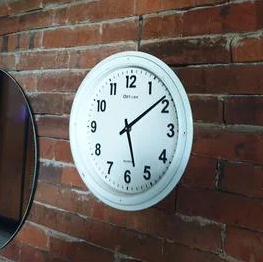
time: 5:08
